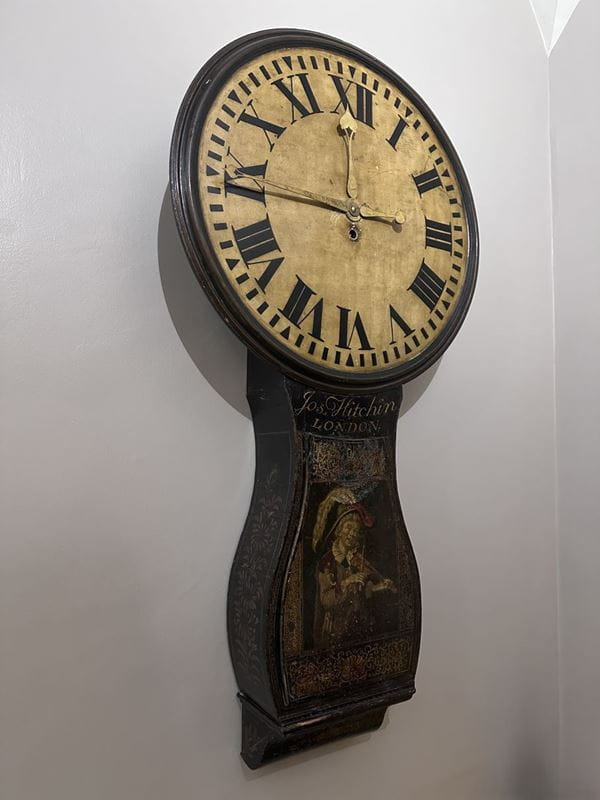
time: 11:44
